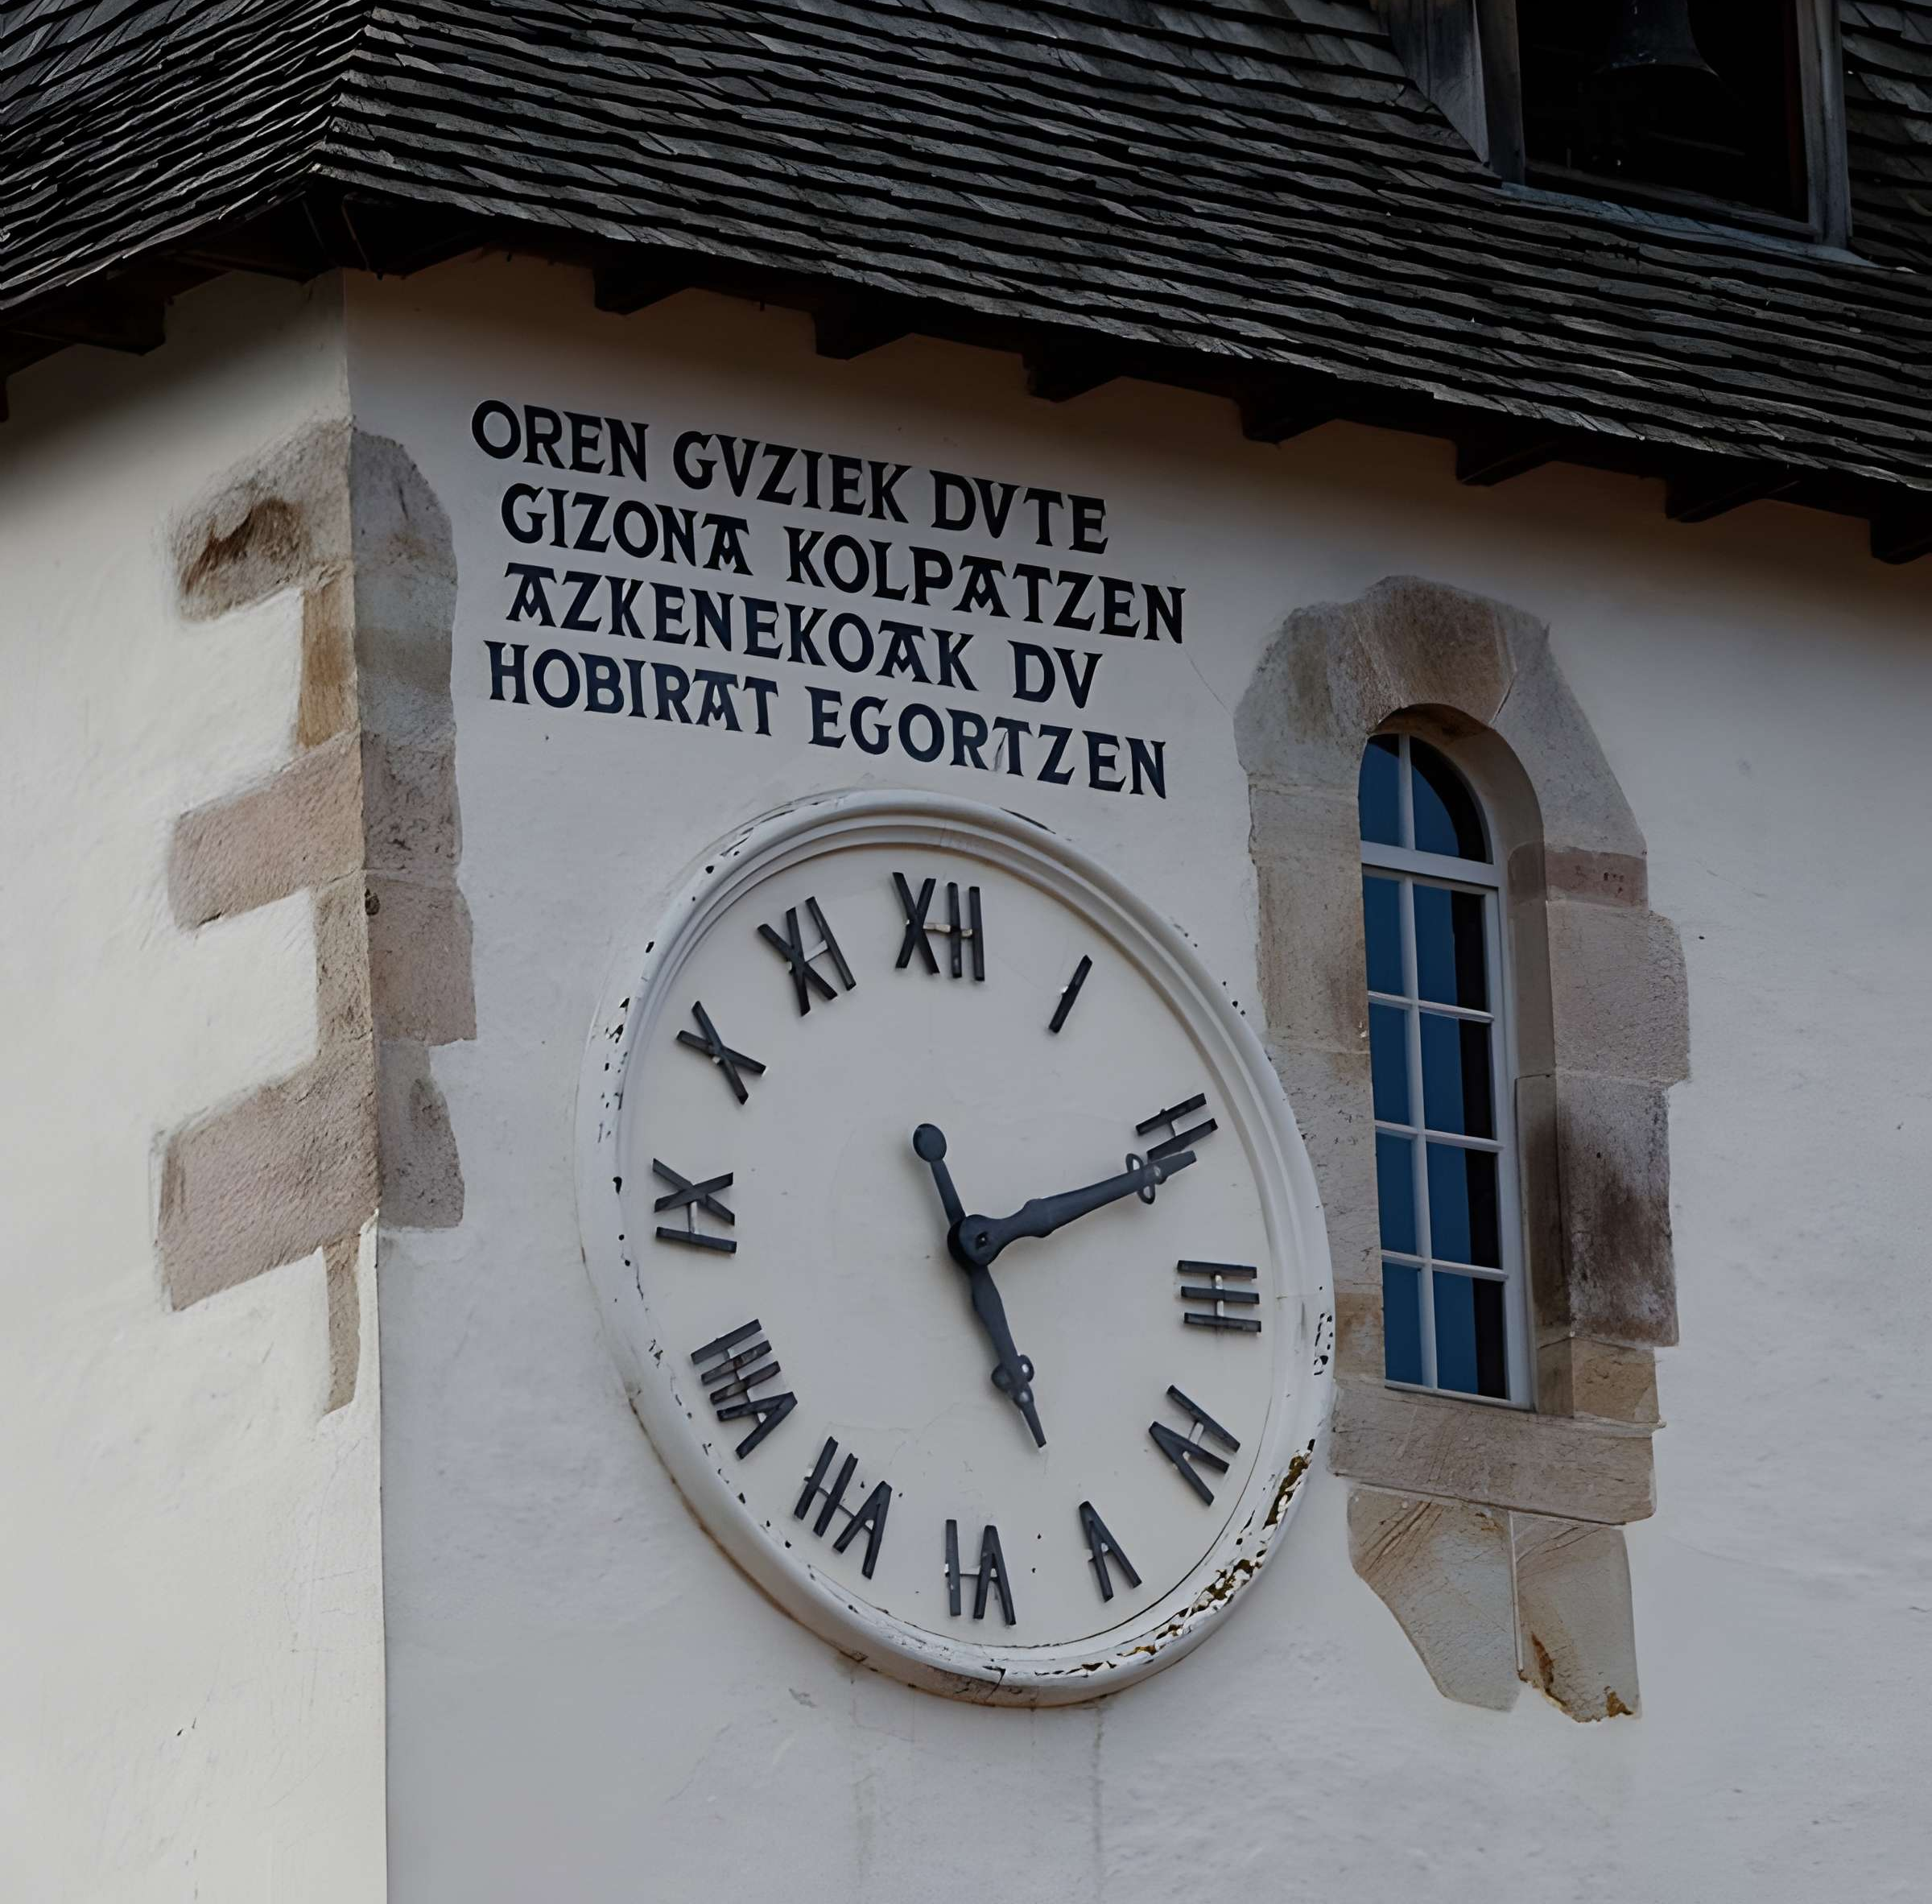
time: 5:11
